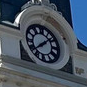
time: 1:38
